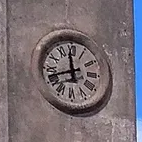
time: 11:41
